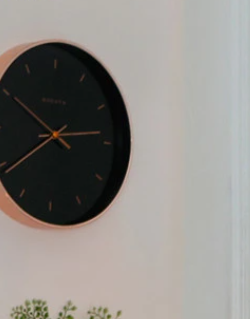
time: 7:50
